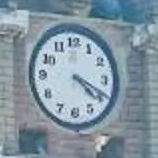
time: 4:19
